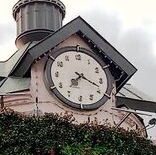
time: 7:18
